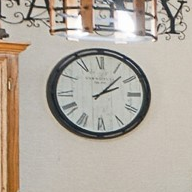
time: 2:07
